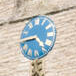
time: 4:44
